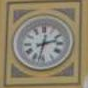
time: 2:32
